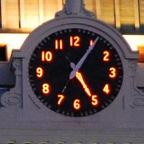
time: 5:05
